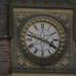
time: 3:47
